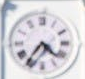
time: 4:36
